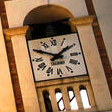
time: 1:50
